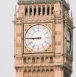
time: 8:45
